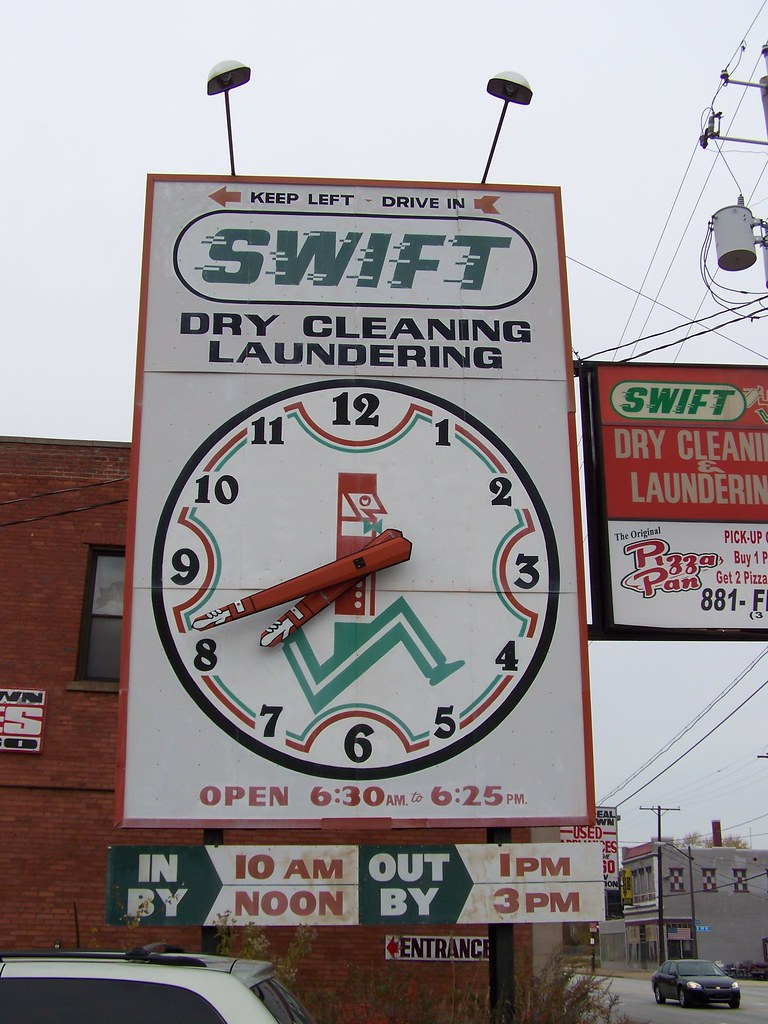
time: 7:41
